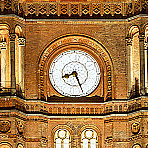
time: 8:26
